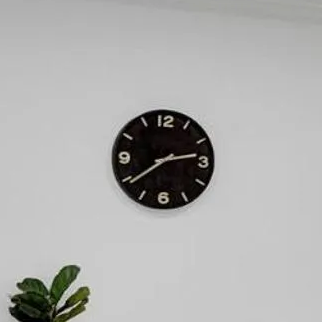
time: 2:39
